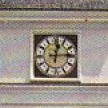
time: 12:14
